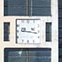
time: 9:17
